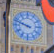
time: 9:48
